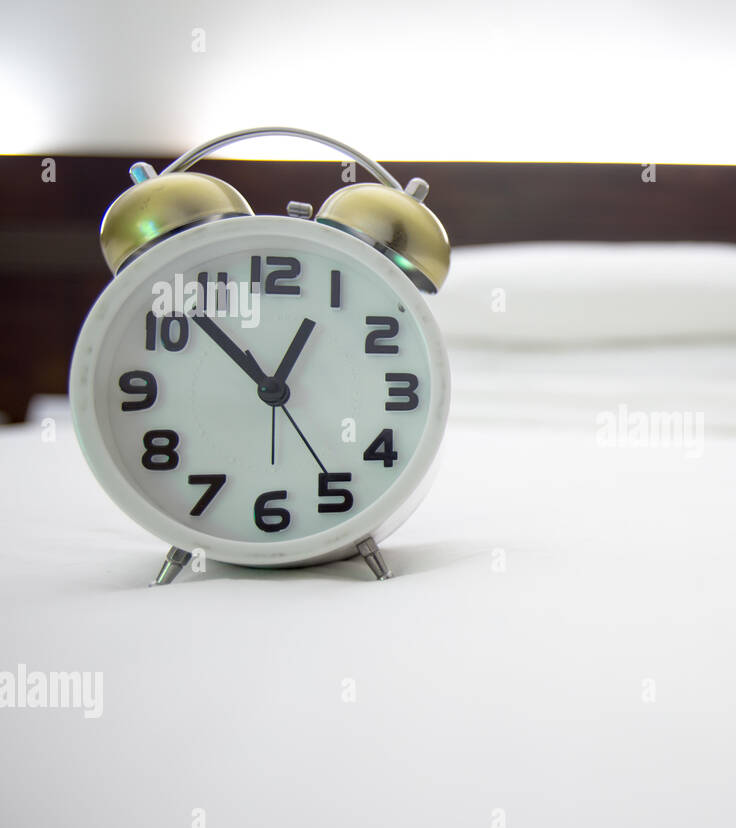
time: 12:52
